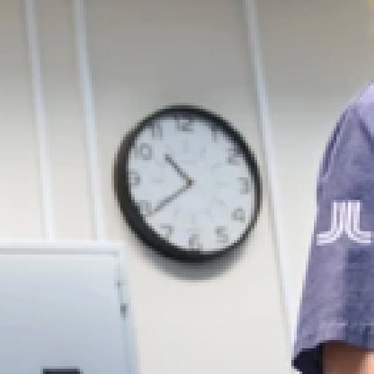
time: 10:39
